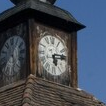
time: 5:14
